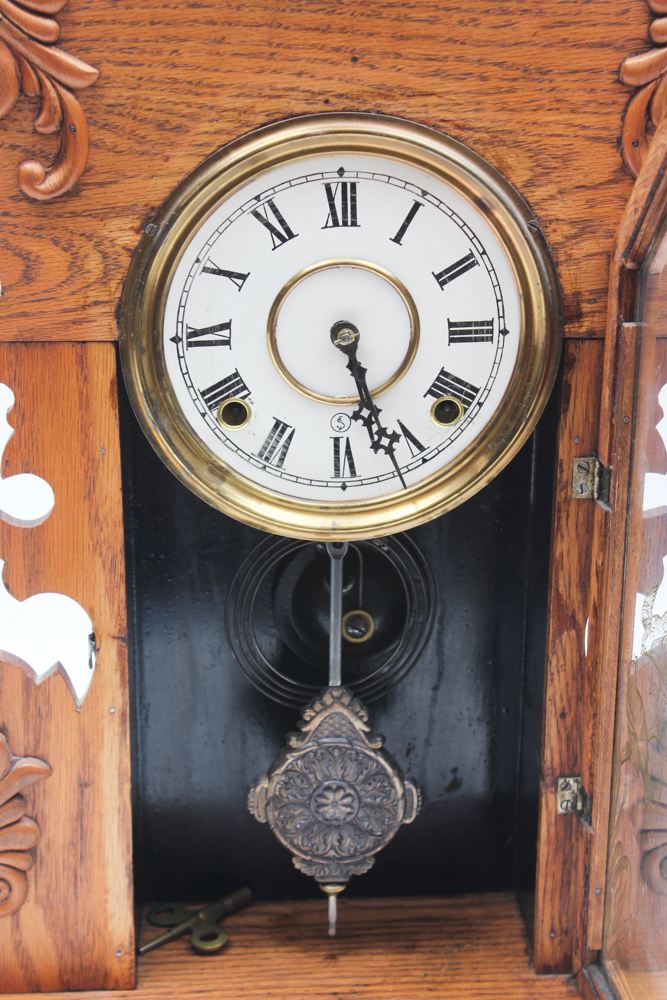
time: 5:26
